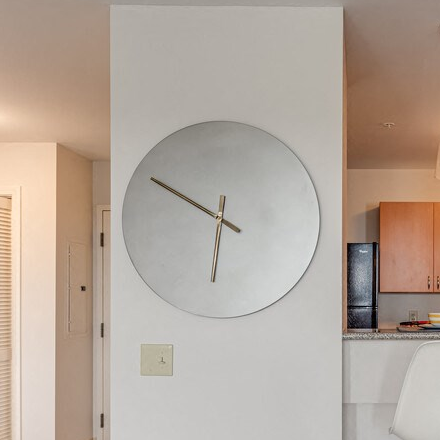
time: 5:49
